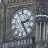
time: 2:25
